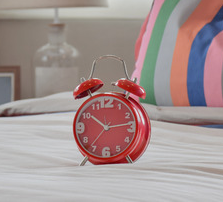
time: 10:13
